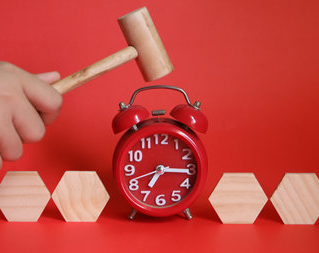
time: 7:15
